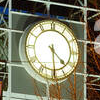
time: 4:29
